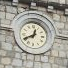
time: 12:40
